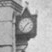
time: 1:36
